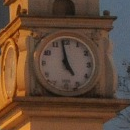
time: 4:58
